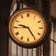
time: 9:24
